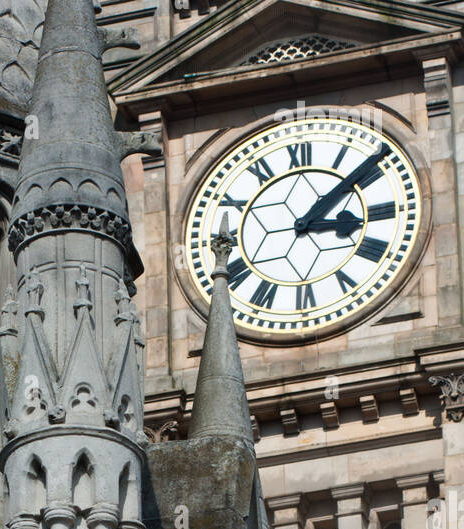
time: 3:08
